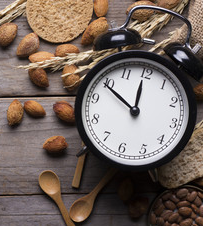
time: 11:49
